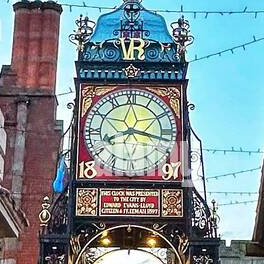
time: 8:16
